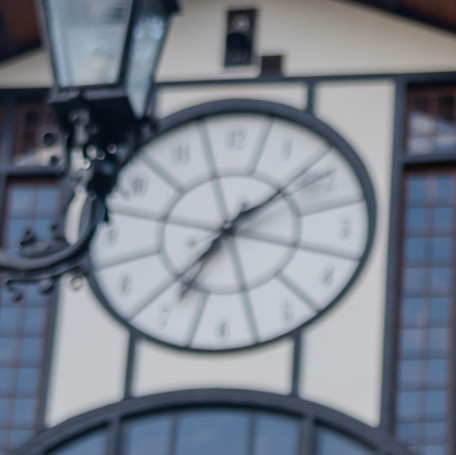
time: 7:09
